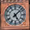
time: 5:07
